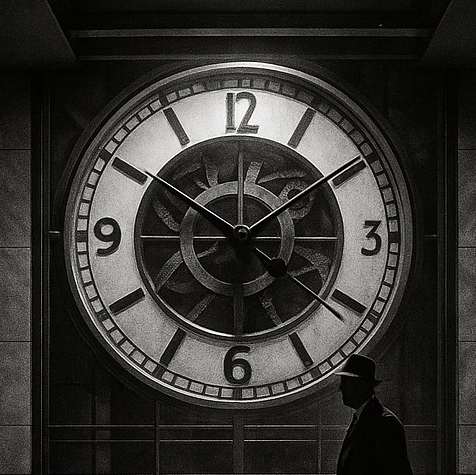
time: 1:50
